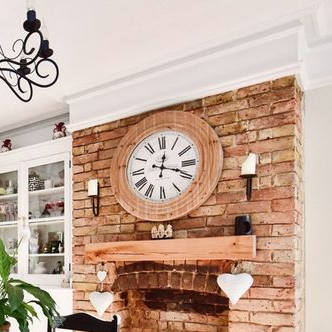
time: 12:18
